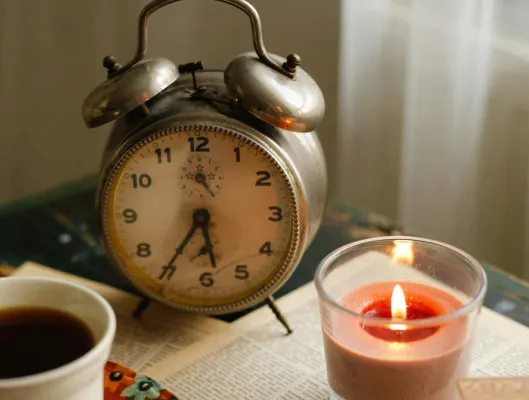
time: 5:35
